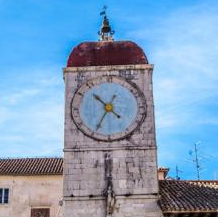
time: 10:34
